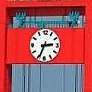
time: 2:34
